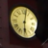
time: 6:02
